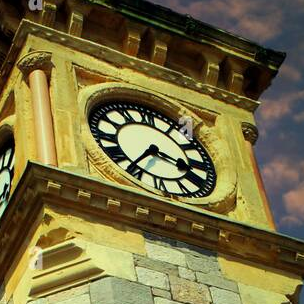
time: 3:36
